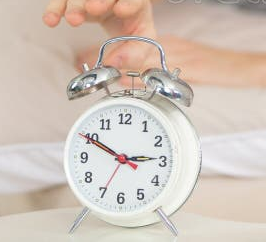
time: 2:50
